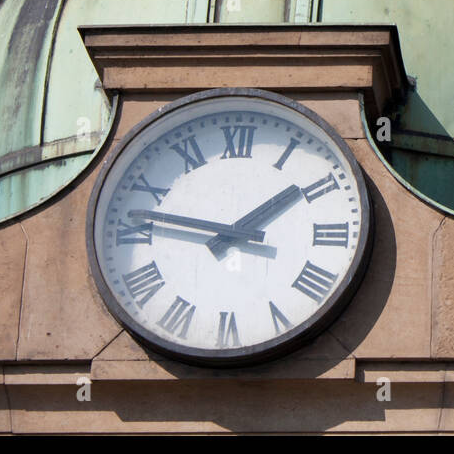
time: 1:46
